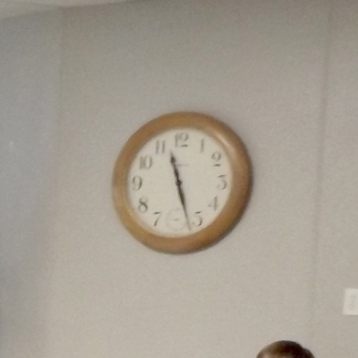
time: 11:27
